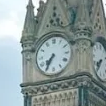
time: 7:35
